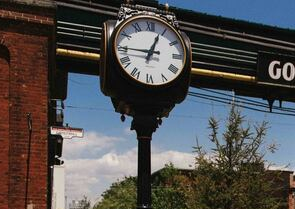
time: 12:45
